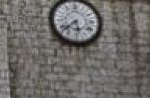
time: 5:38
